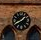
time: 1:40
